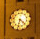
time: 6:20
